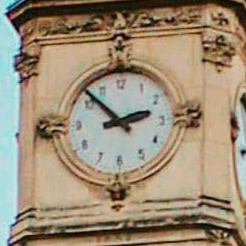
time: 2:52
